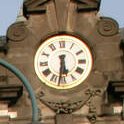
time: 5:31
